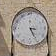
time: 3:25
